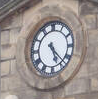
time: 5:22
